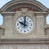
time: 10:00
